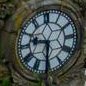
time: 9:31
